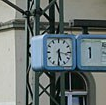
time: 5:30
